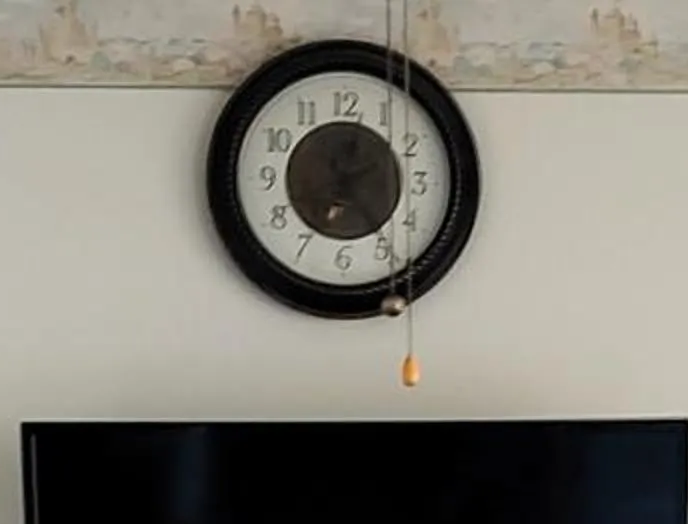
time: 12:23
